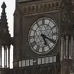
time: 5:19
